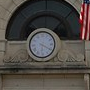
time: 6:20
